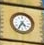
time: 4:35
